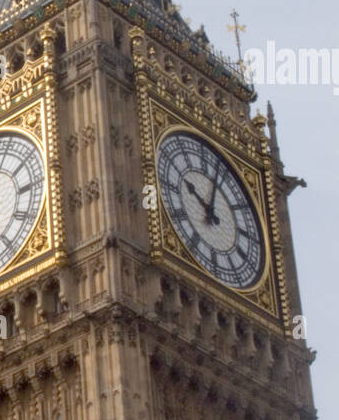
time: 10:03
